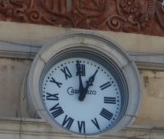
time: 12:59
